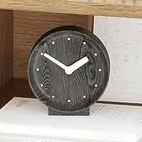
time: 1:50
